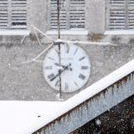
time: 9:38
